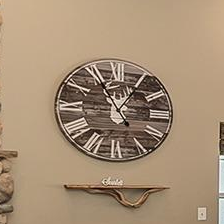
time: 12:55
